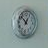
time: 12:52
